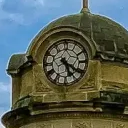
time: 5:20
